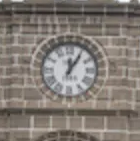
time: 12:05
